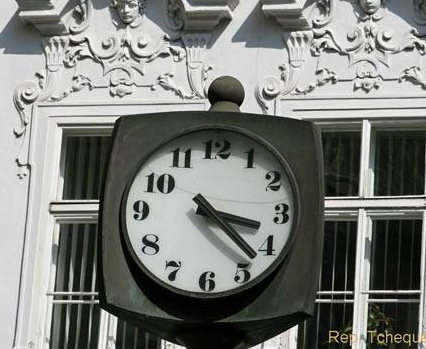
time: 3:22
